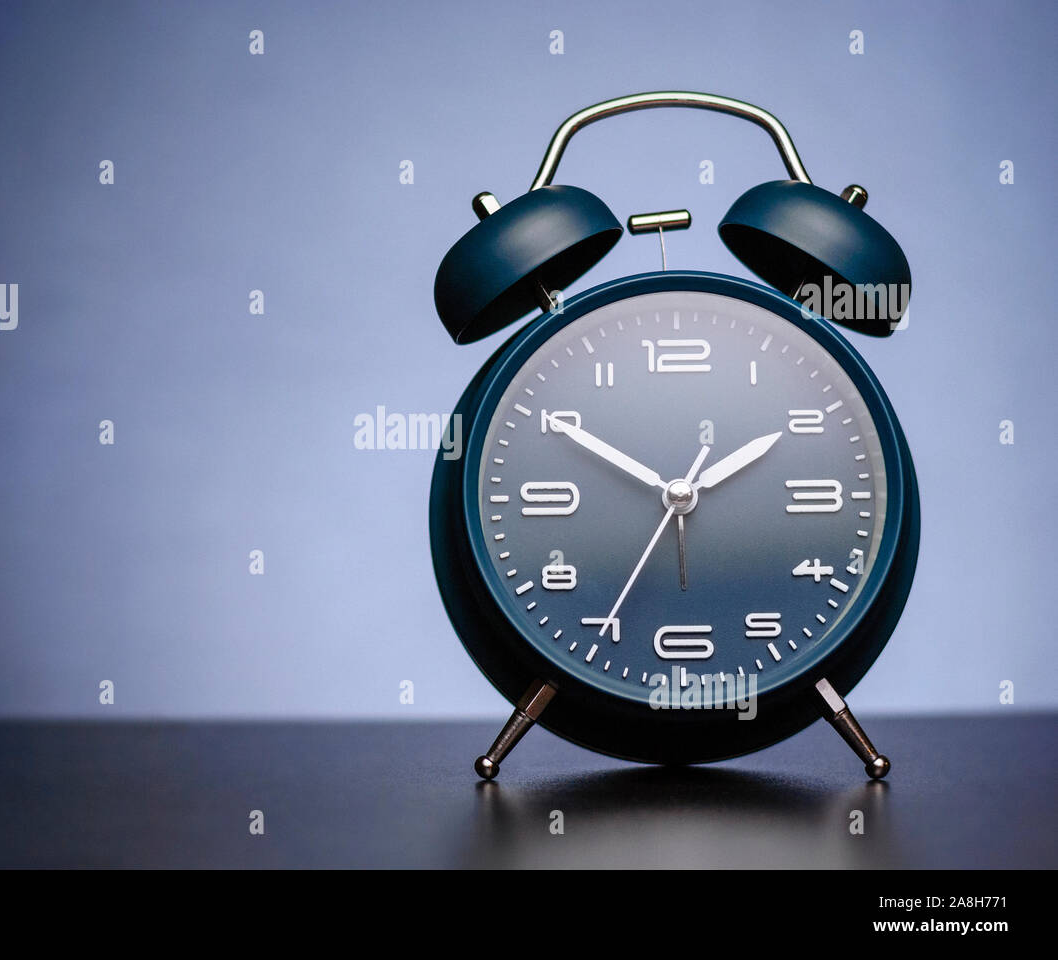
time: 1:50
